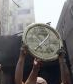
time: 1:37
